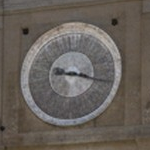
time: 9:17
